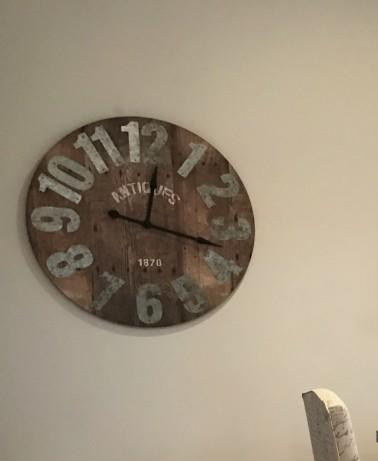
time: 12:17
